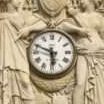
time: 5:48
